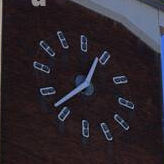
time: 12:37
